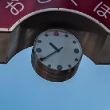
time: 10:39
